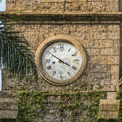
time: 3:50
